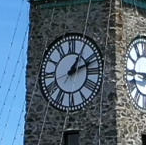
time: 1:11
